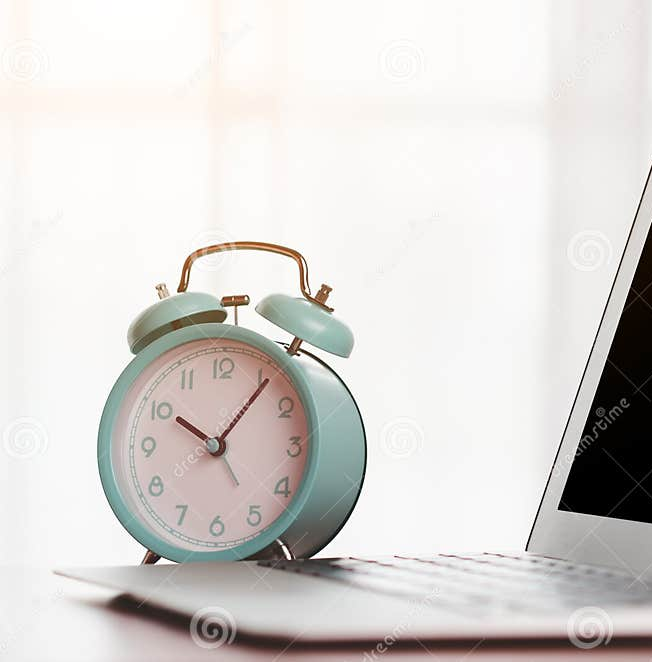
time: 10:06
